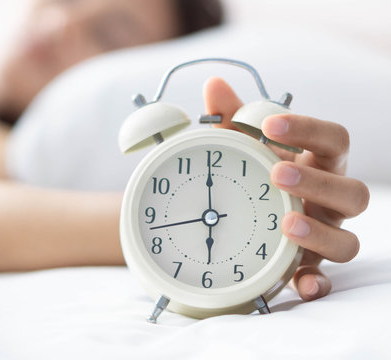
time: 5:59
